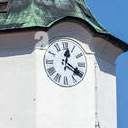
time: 12:20
